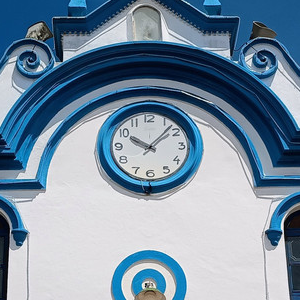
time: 10:07
